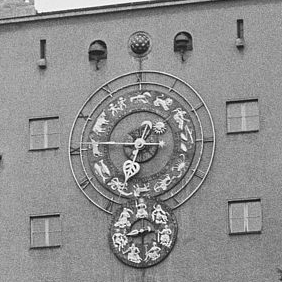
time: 6:46
